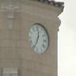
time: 12:34
